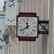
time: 11:39
